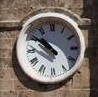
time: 10:51
